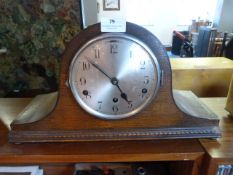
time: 4:51
